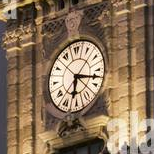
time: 6:17
